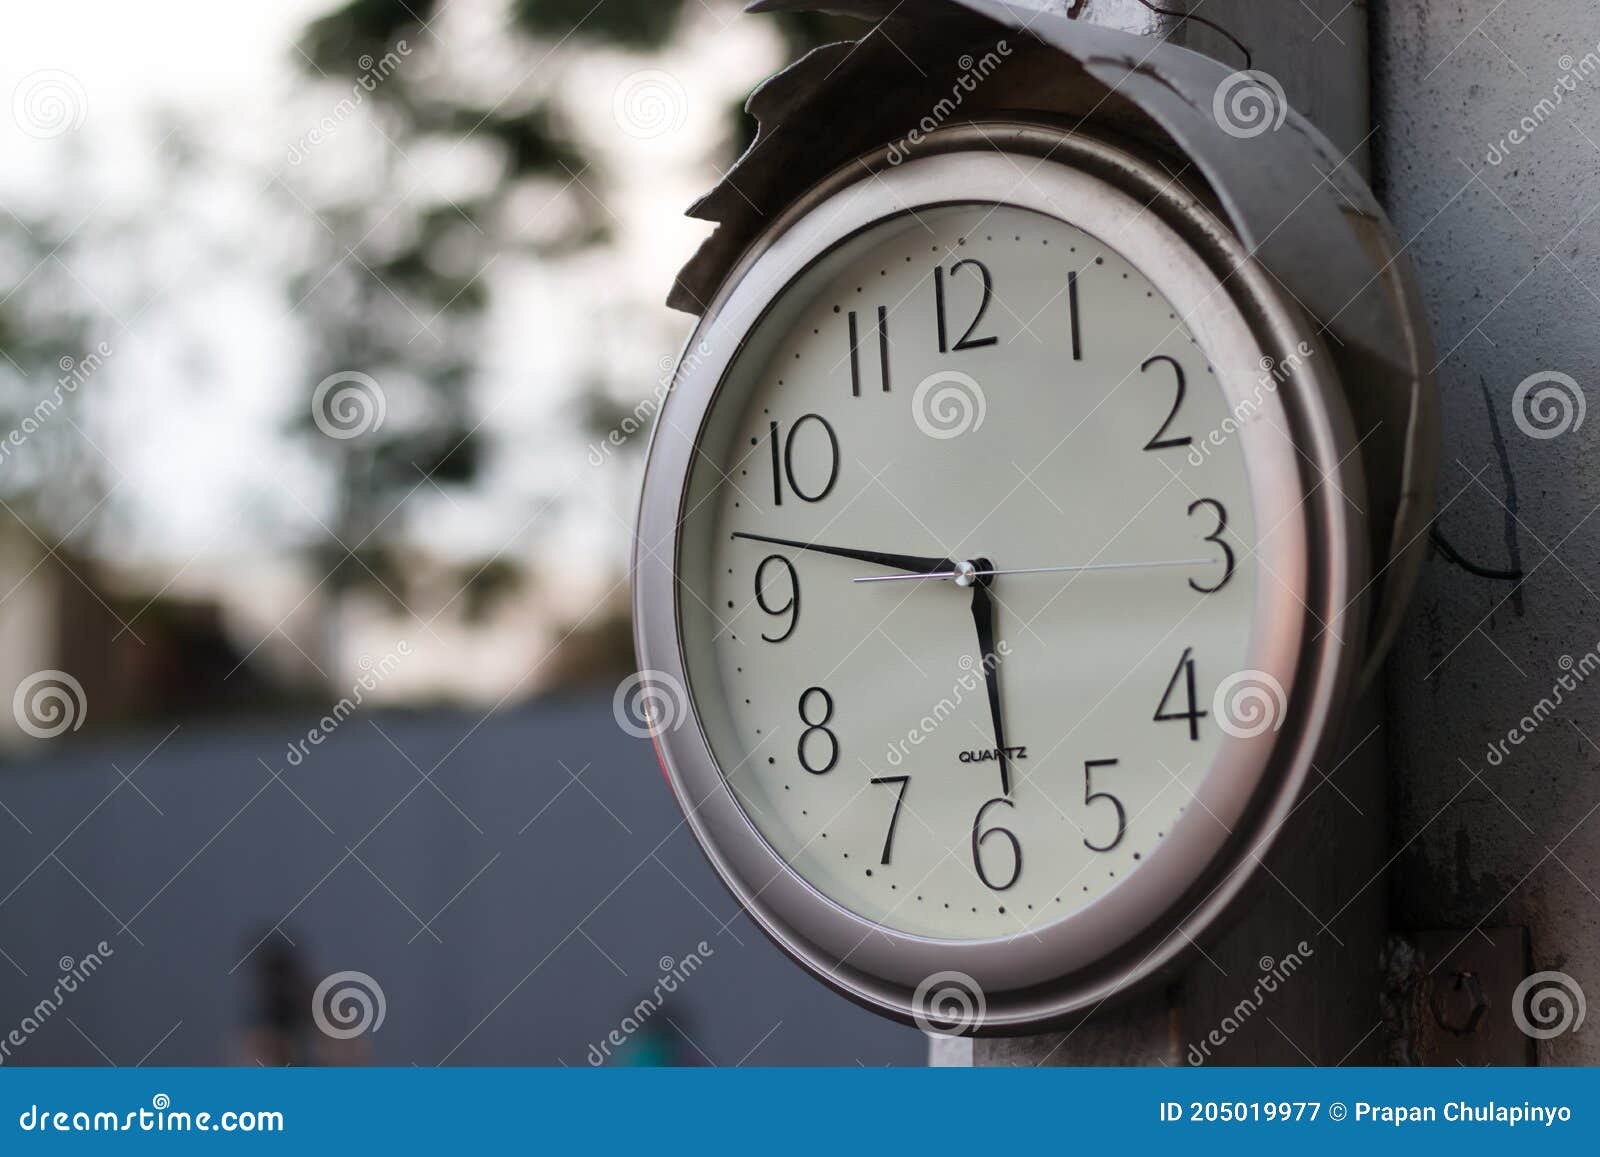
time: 5:47
